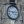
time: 2:46
